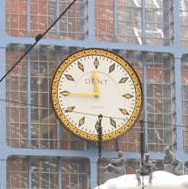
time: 11:45
